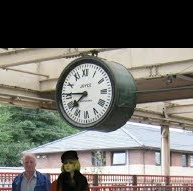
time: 7:45
